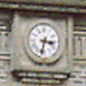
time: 3:32
